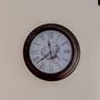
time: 11:38
